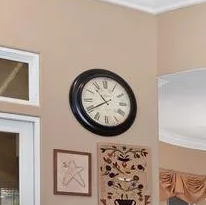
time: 10:39
